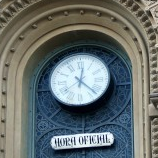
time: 12:22
